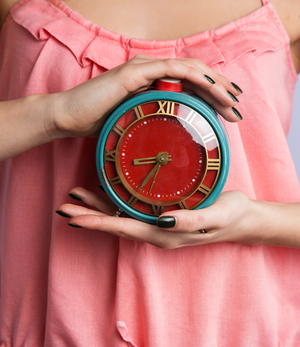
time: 8:35
